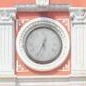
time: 12:33
